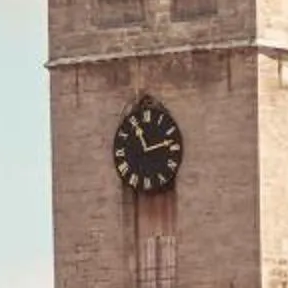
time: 11:12
